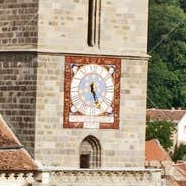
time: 5:26
